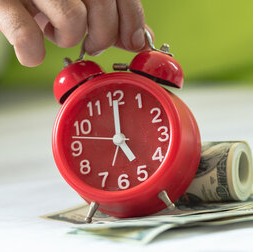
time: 5:00
